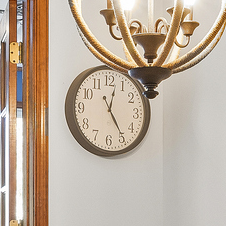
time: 12:24
